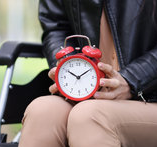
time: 10:09
